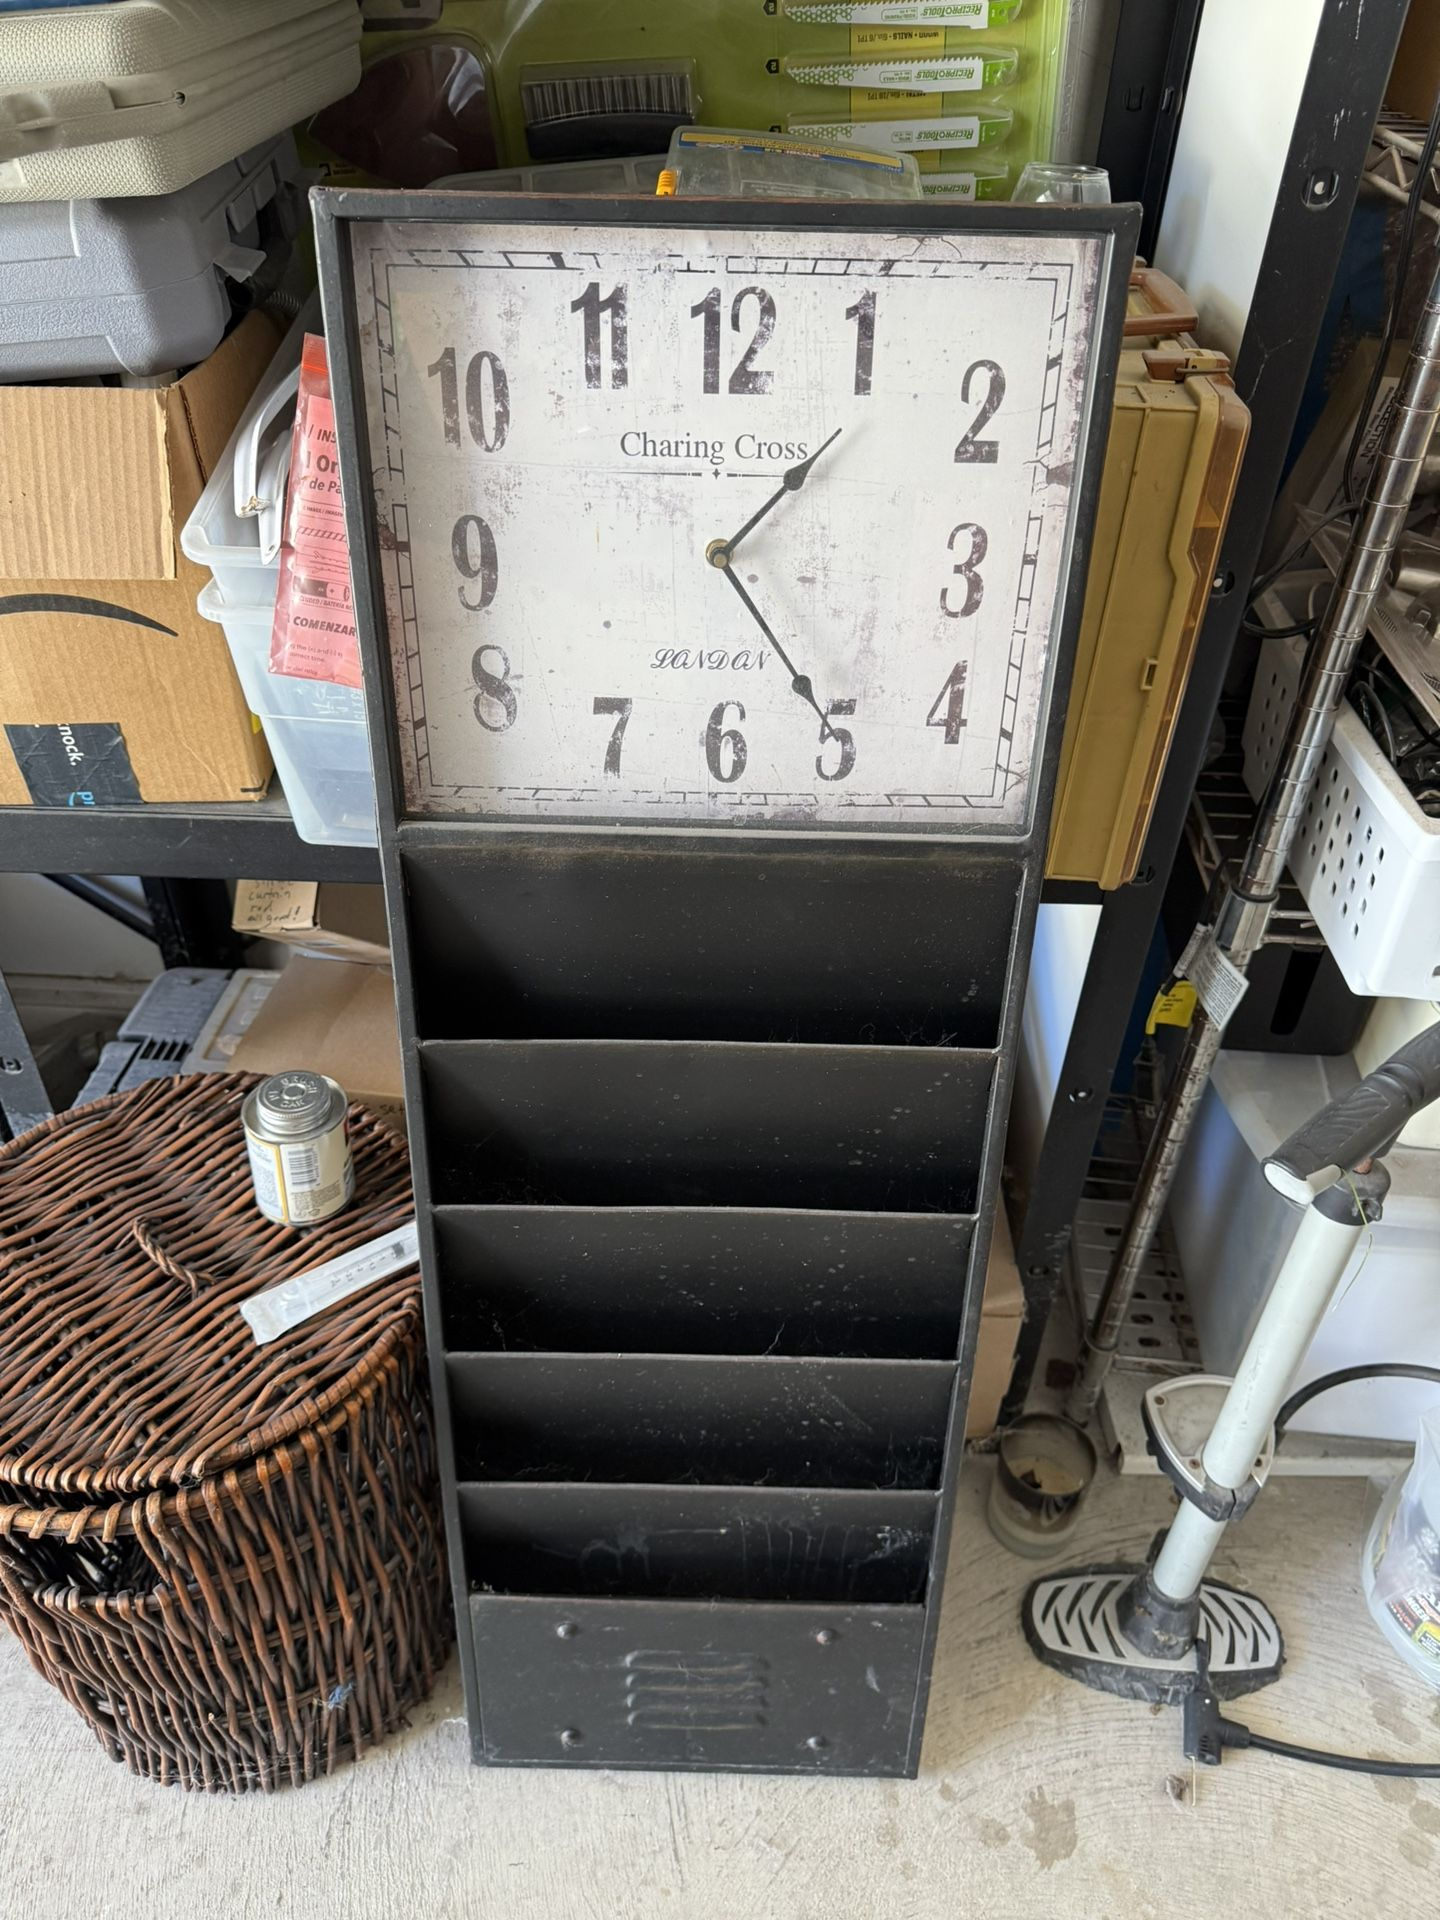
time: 1:23
